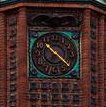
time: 10:21
